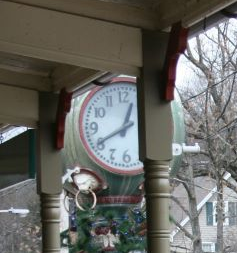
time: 12:40
